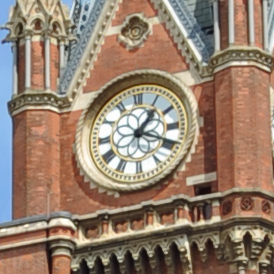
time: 1:18
